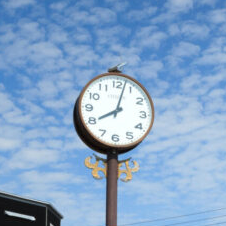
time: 8:02
